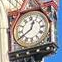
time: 12:40
